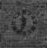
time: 11:33
